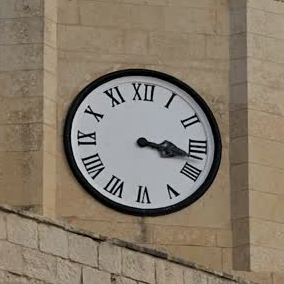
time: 3:17
